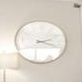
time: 2:18
